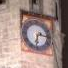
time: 6:15
